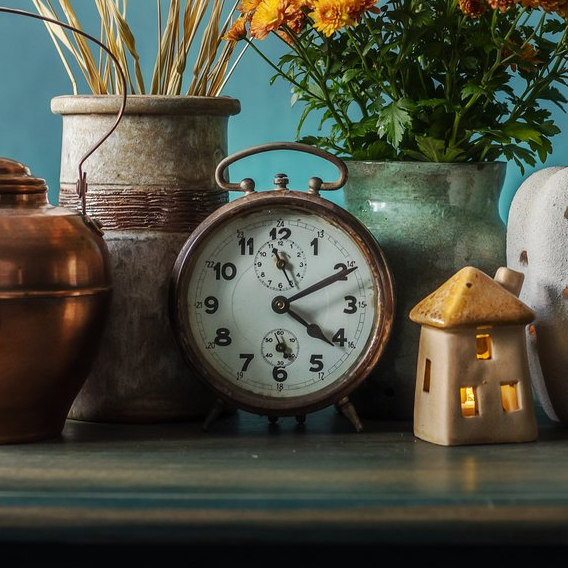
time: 4:10
